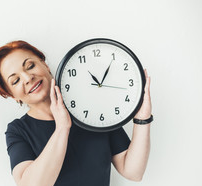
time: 11:05
